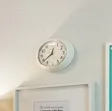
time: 12:38
